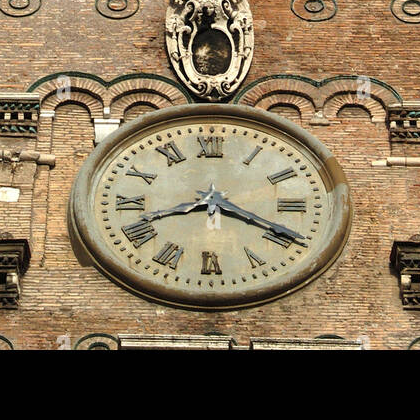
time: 8:19
